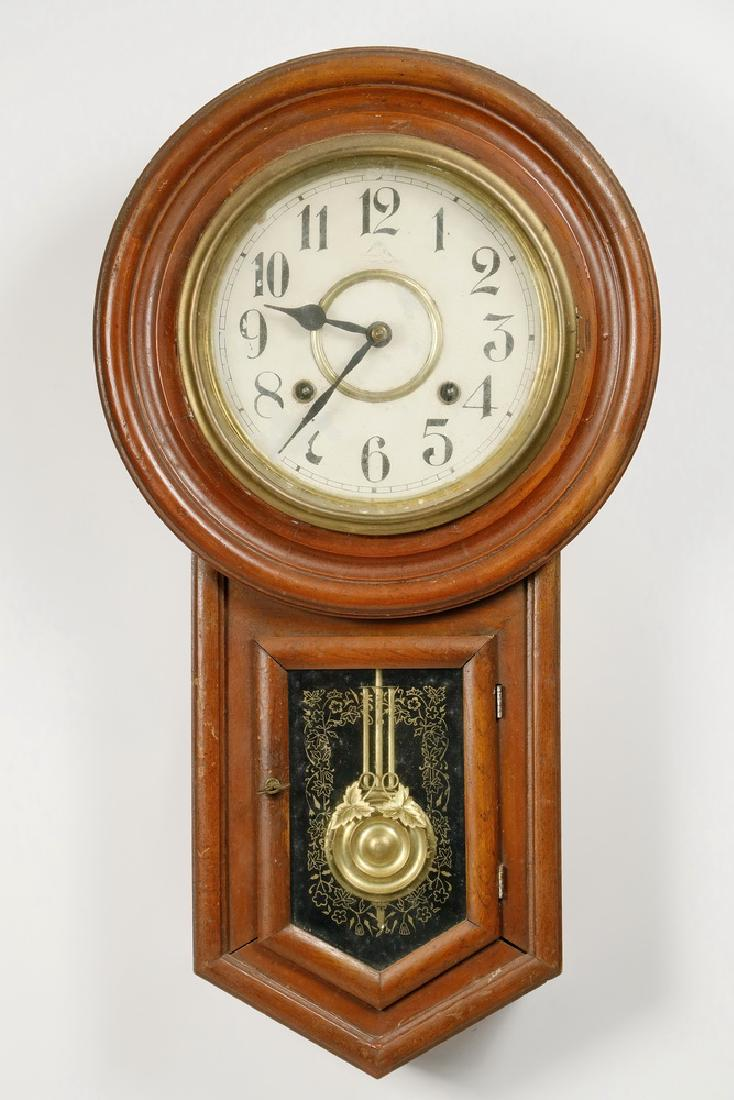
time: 9:36
